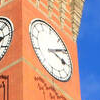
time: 4:14
